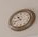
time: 10:42
